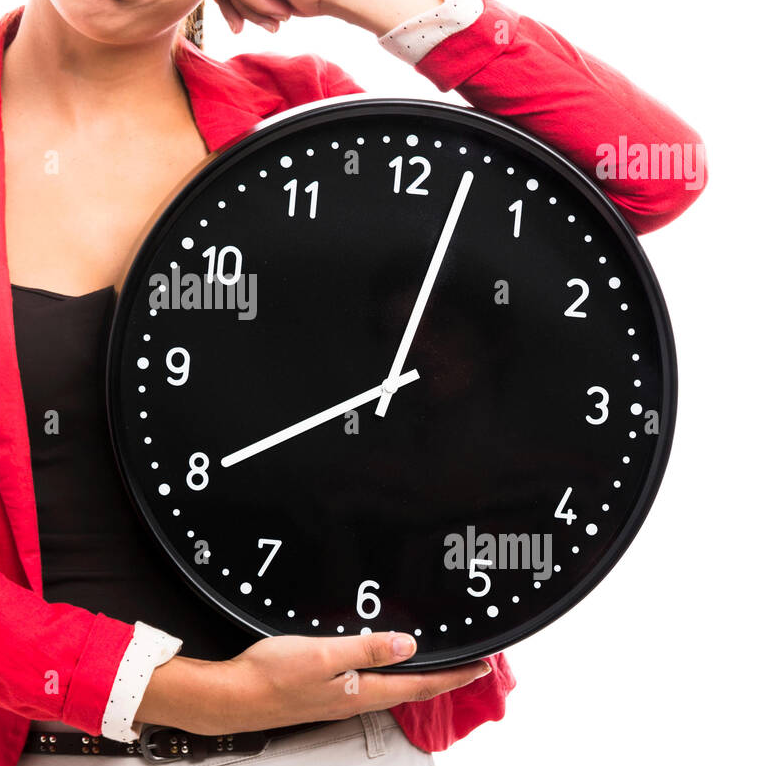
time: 8:02
